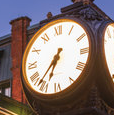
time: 6:36
